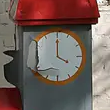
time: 4:00
